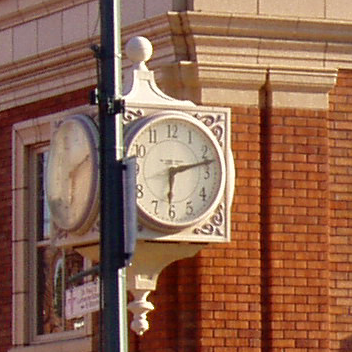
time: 6:12
